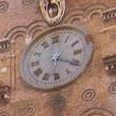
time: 6:20
